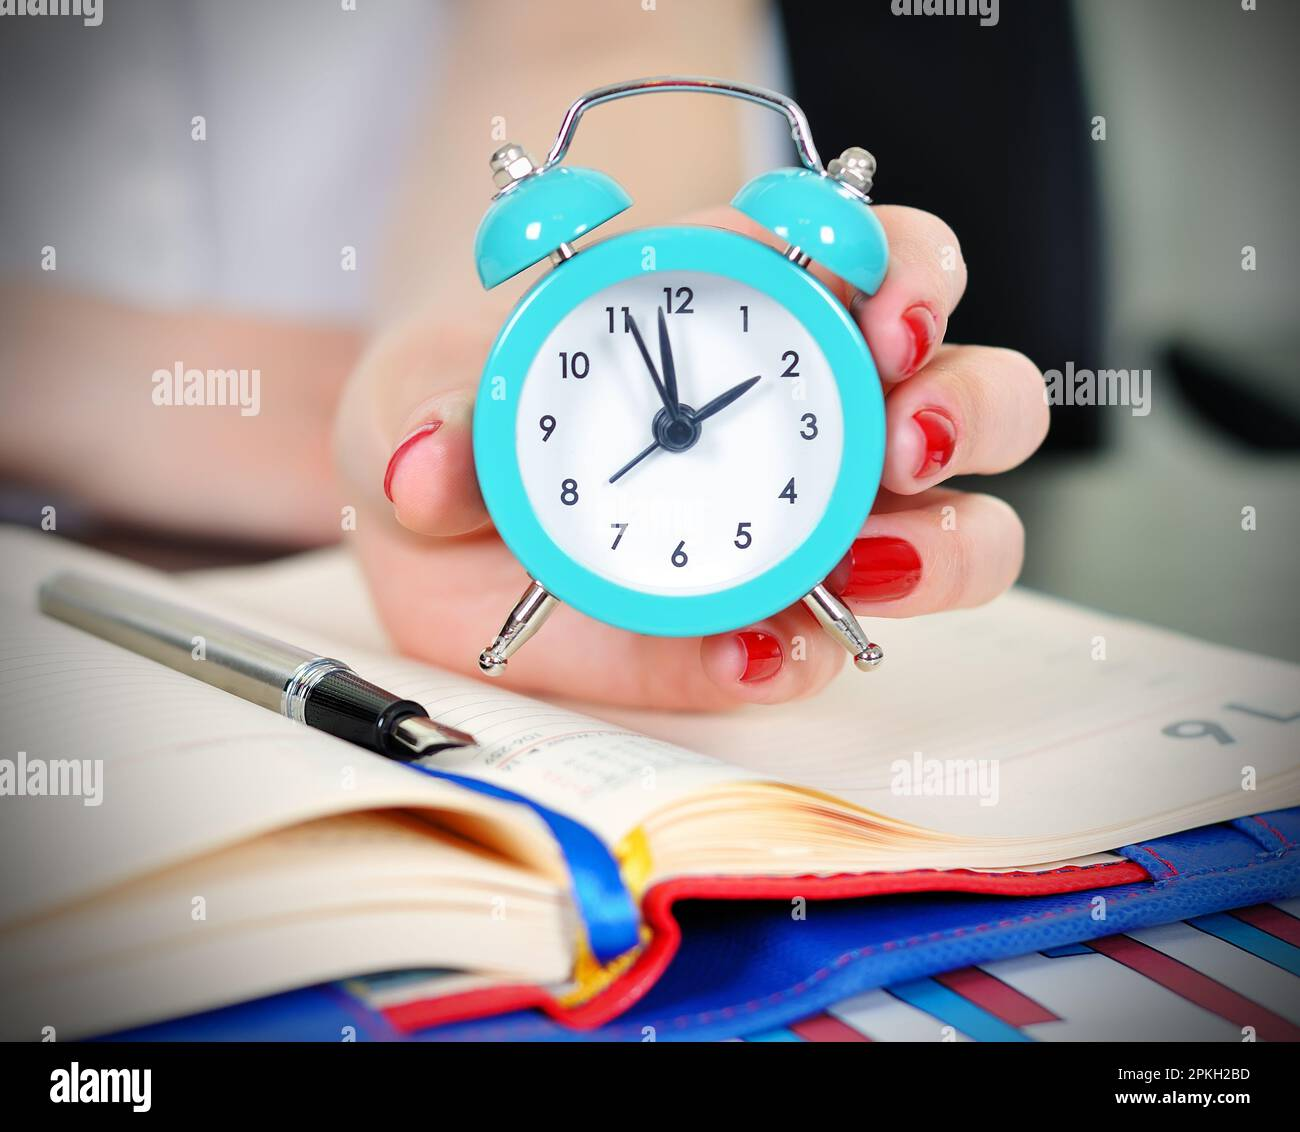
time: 1:57
